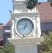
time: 12:41
